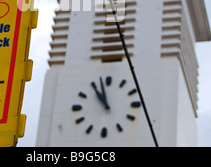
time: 10:57
